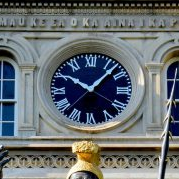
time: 10:07
